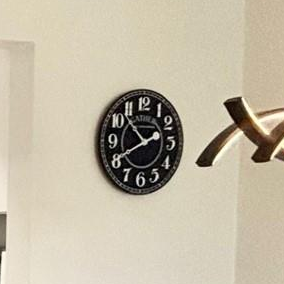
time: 10:40
